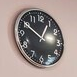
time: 12:50
